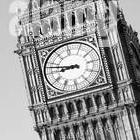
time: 8:47
